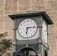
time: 6:14
